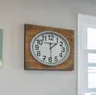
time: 1:29
